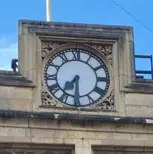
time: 7:30
